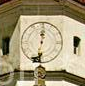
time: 12:32
